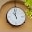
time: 10:58
